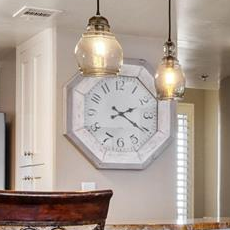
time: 2:20
